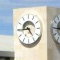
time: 4:44
